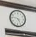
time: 4:46
